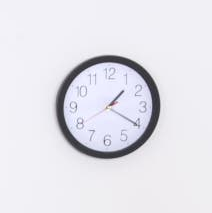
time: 1:20
